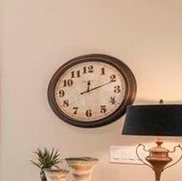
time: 12:11
